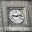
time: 9:12
